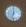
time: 7:00
